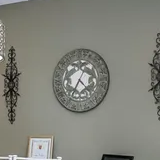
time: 4:34
